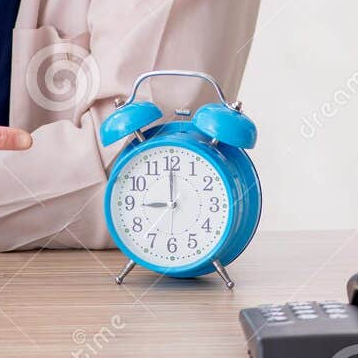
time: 8:59
